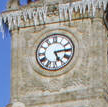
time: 5:14
